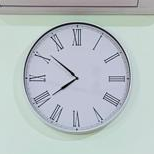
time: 7:51
